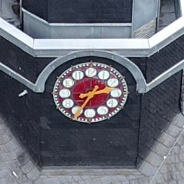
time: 2:34
